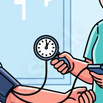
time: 1:00
